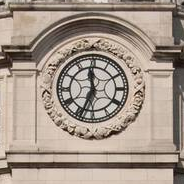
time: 11:33
